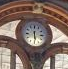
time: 5:30
